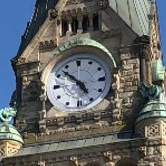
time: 4:52
